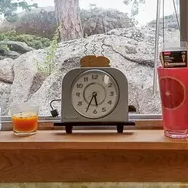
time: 5:34
